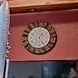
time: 1:24
